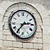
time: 2:36
